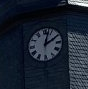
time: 2:02
